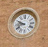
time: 9:42
